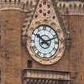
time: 10:11
